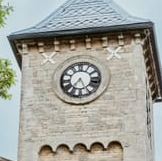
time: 7:25
